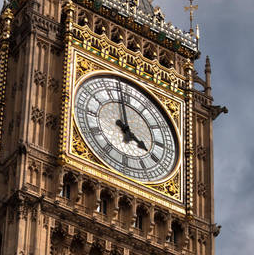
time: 3:58
